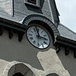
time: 2:58
